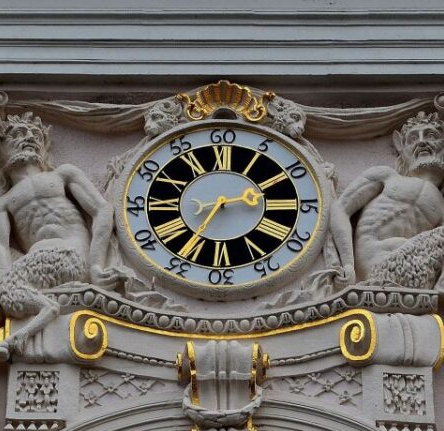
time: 2:35
